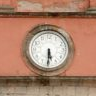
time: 5:30
